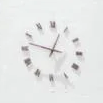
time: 12:47
